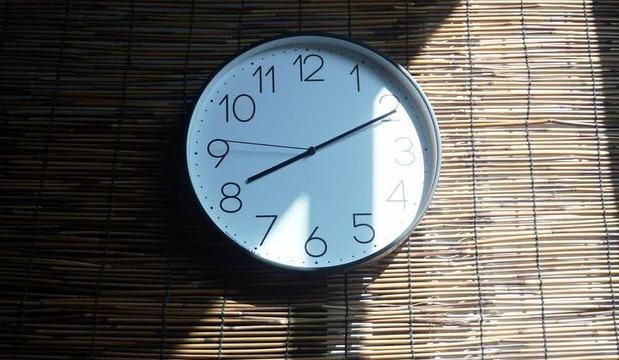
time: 8:10
